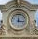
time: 12:16
